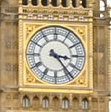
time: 3:23
